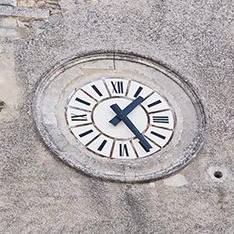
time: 1:24
